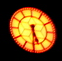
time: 5:30
